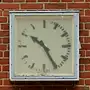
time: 10:25
